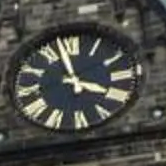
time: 3:57
